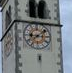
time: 9:08
